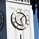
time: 1:28
